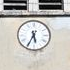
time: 5:34
